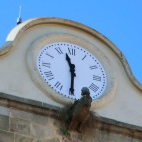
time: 11:30
